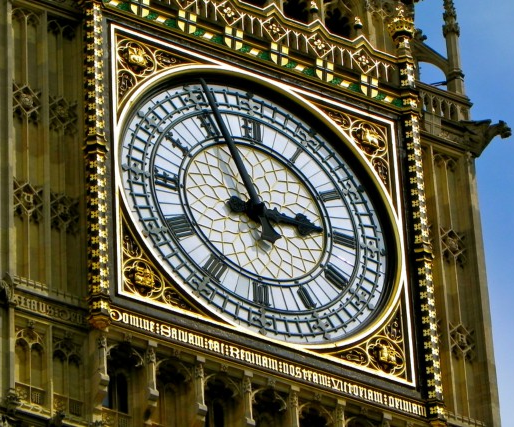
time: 2:56
